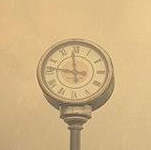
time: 11:46
